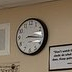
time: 3:16
